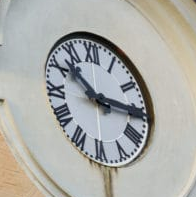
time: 10:15
